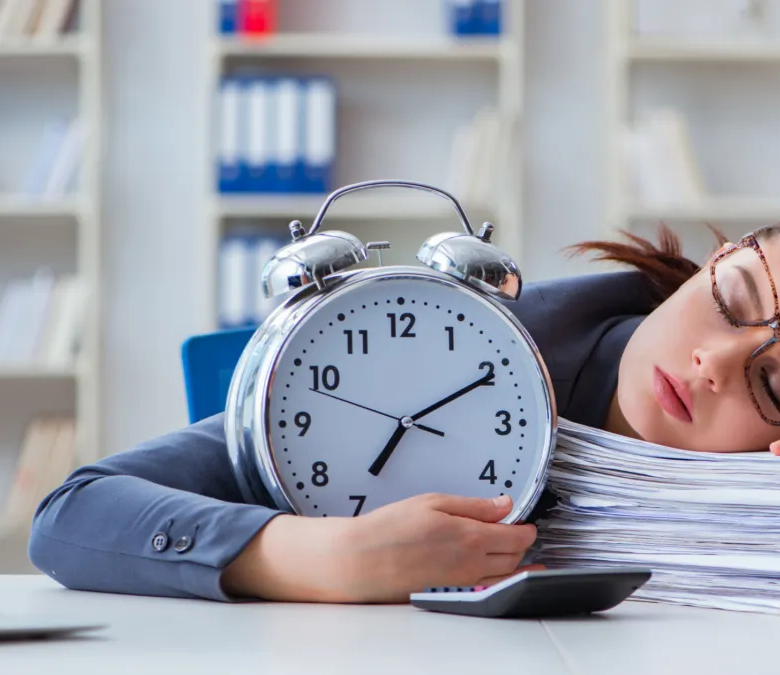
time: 7:10
